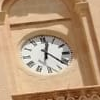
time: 12:21
